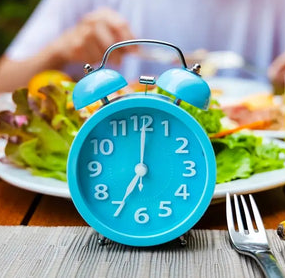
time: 7:00
